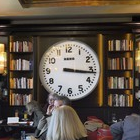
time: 3:16
